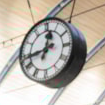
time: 12:43
